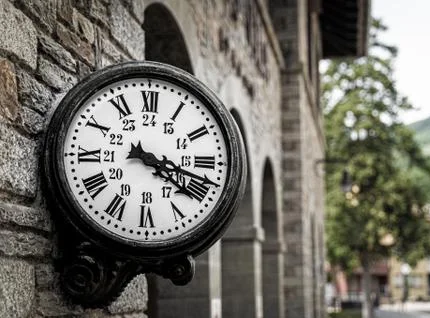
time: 4:17
